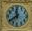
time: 11:39
